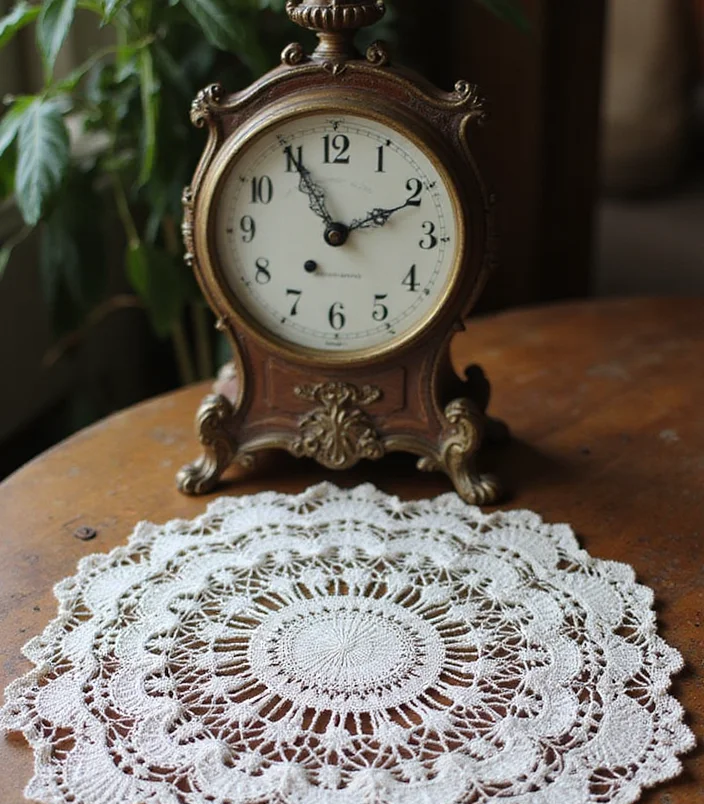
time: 1:55
